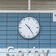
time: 10:24
